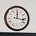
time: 12:16
